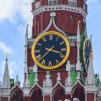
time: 3:37
